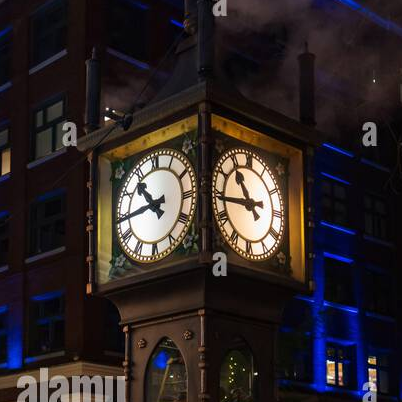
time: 10:45
